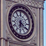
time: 6:20
